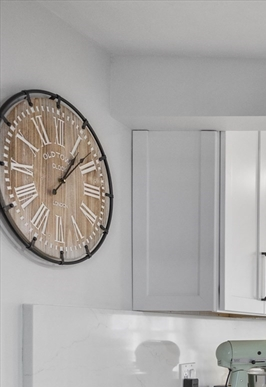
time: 1:08
